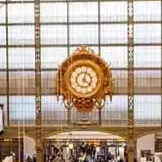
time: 4:02
